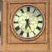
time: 6:25
